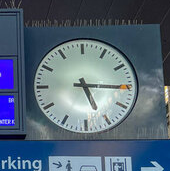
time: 5:15
